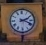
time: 2:18
